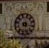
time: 7:15
